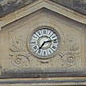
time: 7:13
